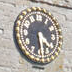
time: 4:29
